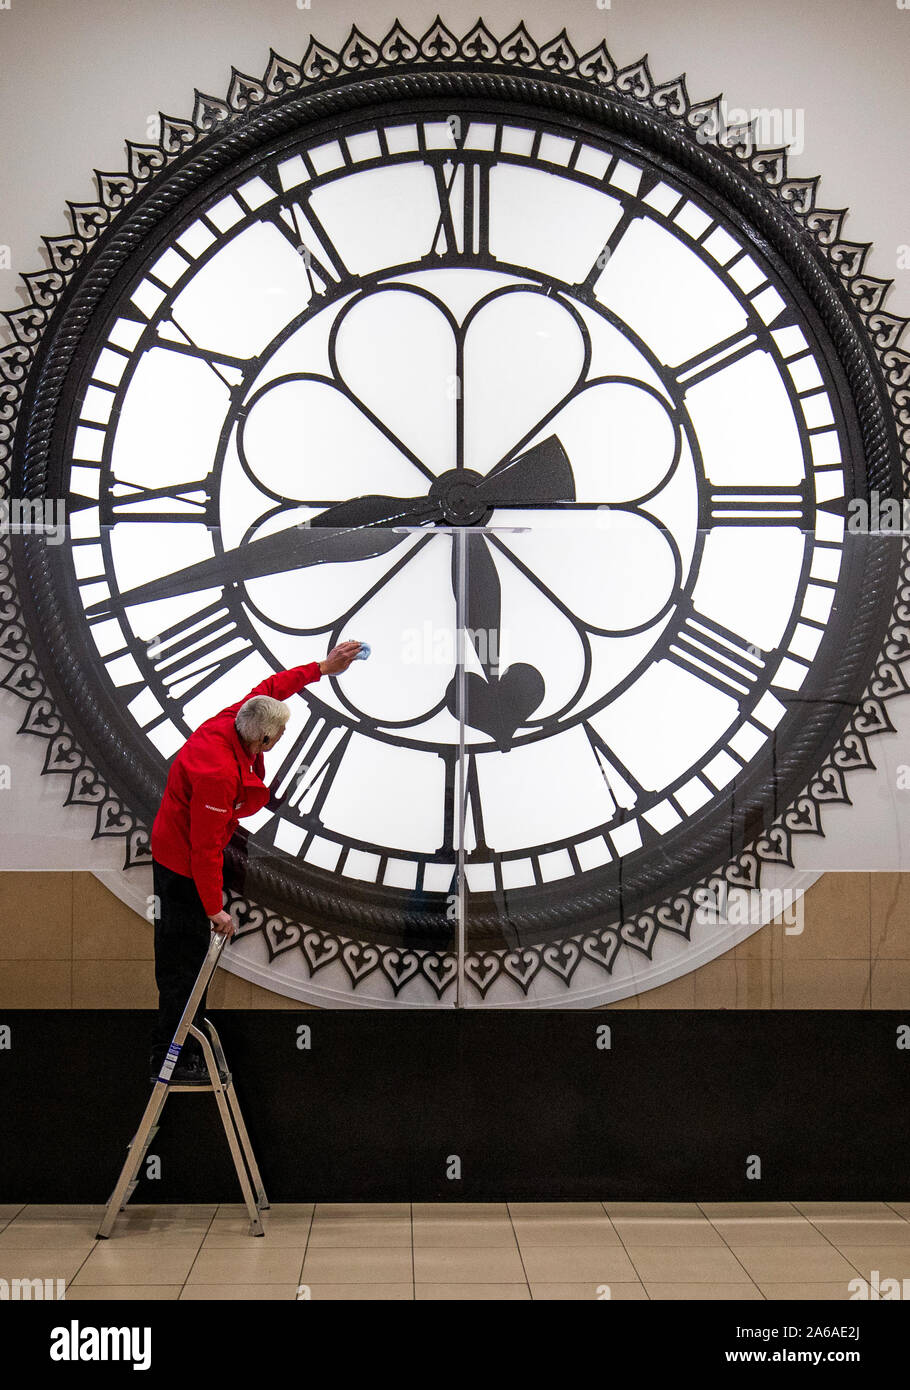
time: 5:42
